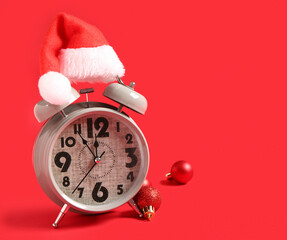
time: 11:53
